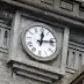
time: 12:12
